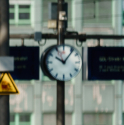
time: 10:06
